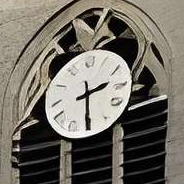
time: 2:30
